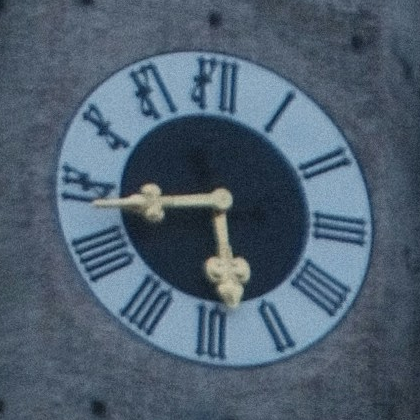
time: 5:43
